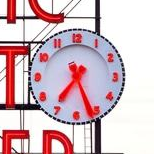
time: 7:26
